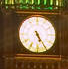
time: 5:24
